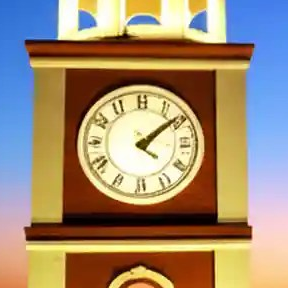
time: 4:08
